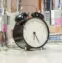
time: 6:25
